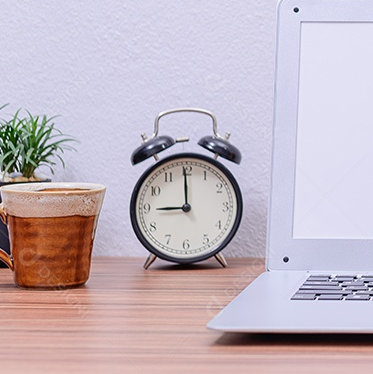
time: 8:59
